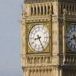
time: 8:25
